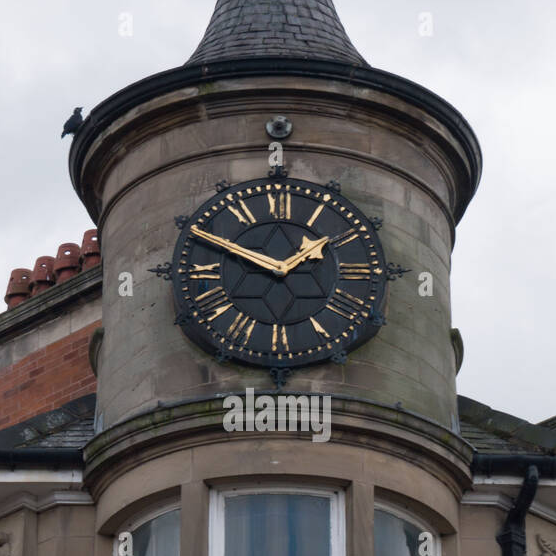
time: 1:49
